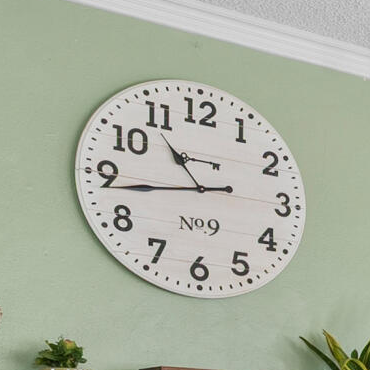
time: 10:43
